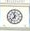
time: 11:37
